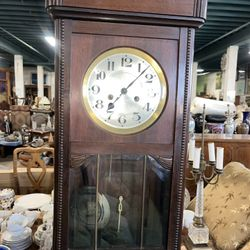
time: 7:07
